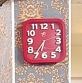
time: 6:36
